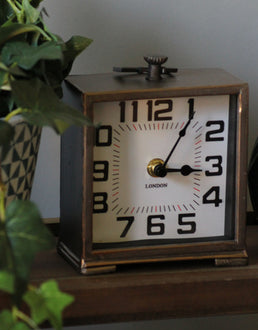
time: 3:05
